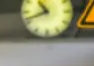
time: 10:41
